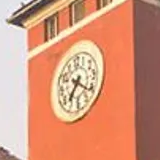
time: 7:21
